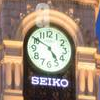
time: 4:50
